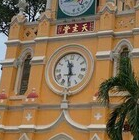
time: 11:30
